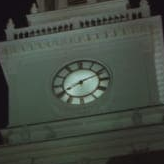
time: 8:11
